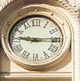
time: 9:14
